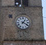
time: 1:20
